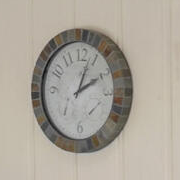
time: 2:03
